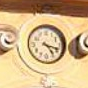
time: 4:17
